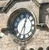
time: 12:34
